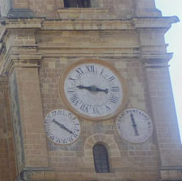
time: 9:16
